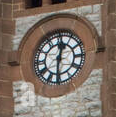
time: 12:30
